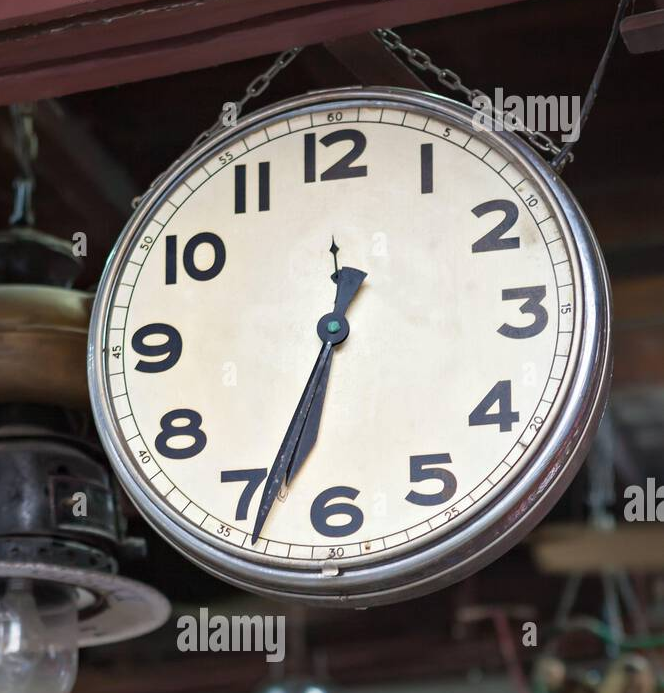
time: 6:33
